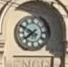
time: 7:49
